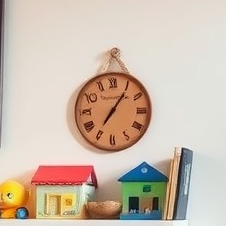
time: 7:05
